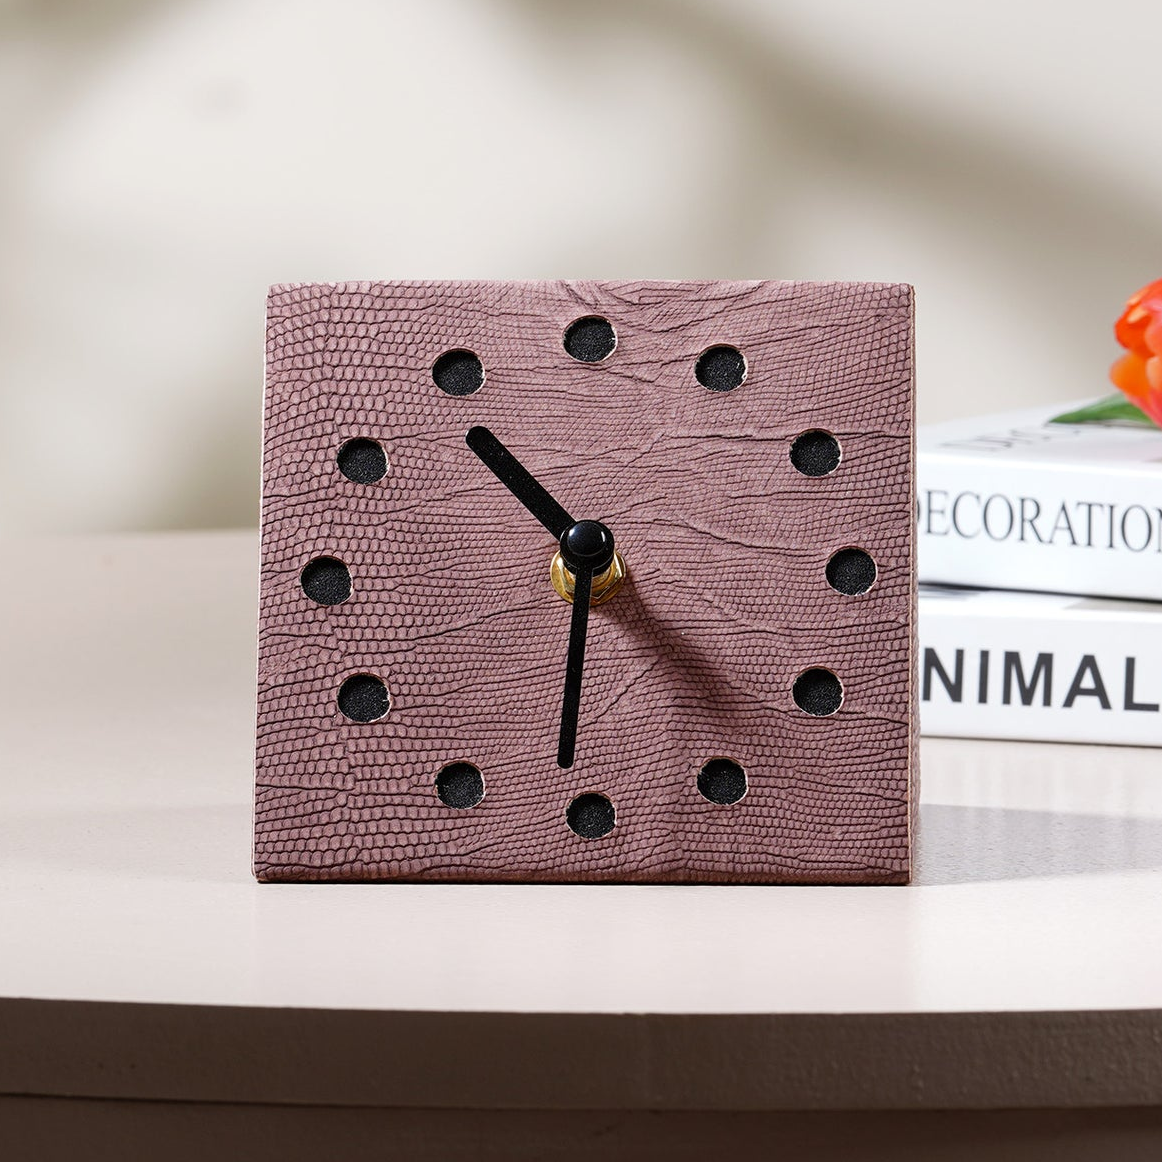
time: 10:31
